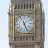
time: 5:26
